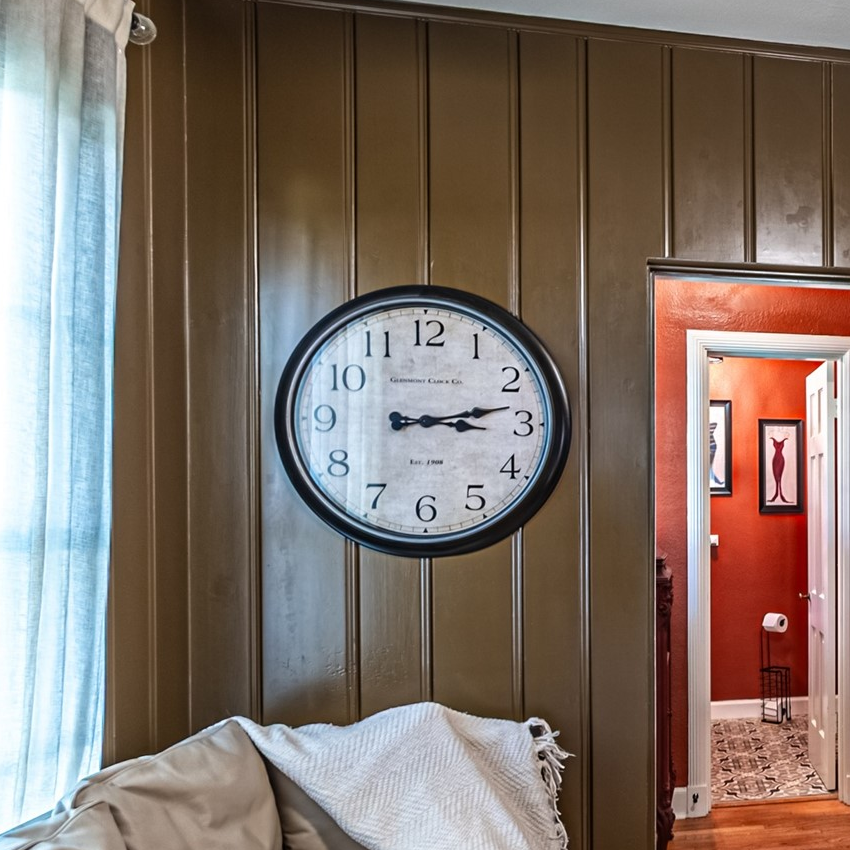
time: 3:12
